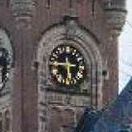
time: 5:44
